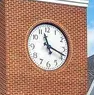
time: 11:18
